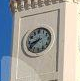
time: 8:38
